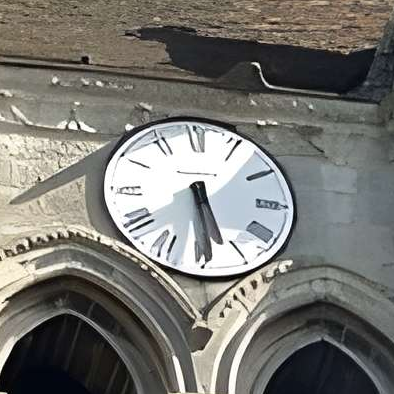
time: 5:29
